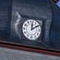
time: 12:09
